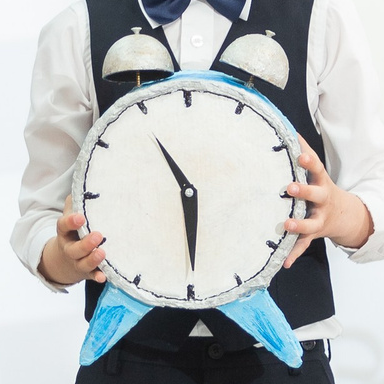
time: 5:54
